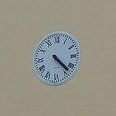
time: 4:22
